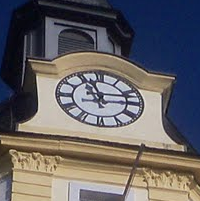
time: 11:13
